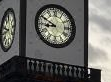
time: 8:49
